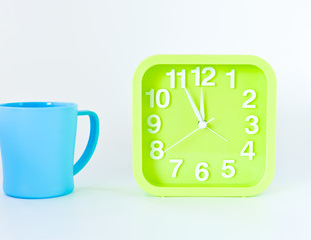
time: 11:55
